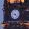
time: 9:22
